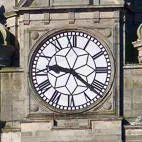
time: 9:21
